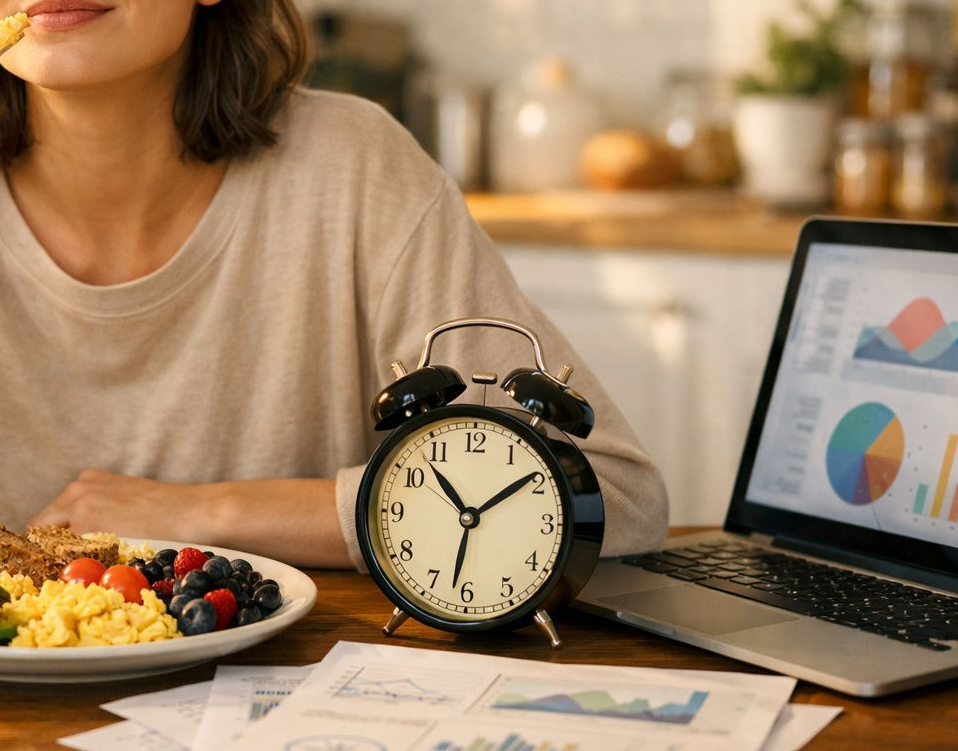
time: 10:31
